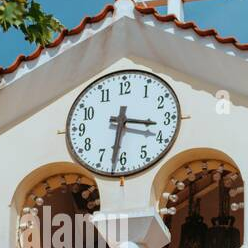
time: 3:31
